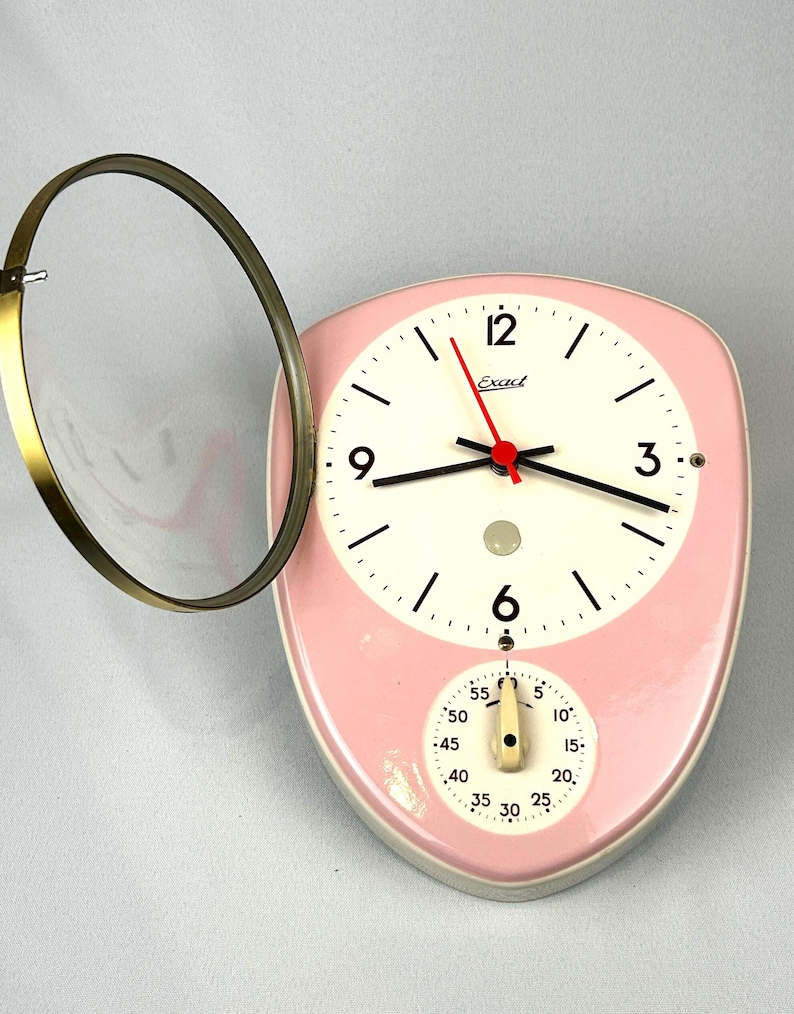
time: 8:17
